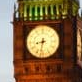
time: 8:32
